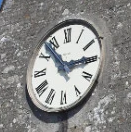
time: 2:53
